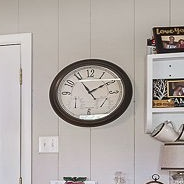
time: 1:54
